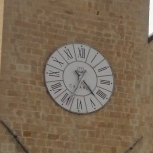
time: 4:33
